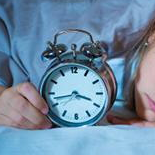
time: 3:42
